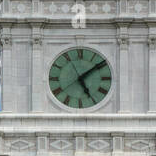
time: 5:08
